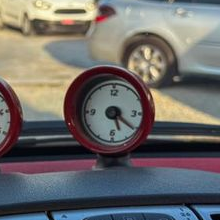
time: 5:21
